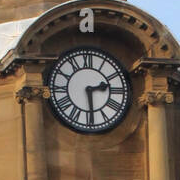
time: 2:29
